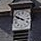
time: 9:48
